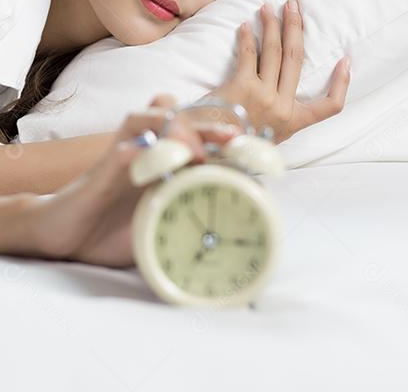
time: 7:15
